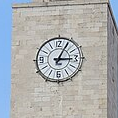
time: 3:04
